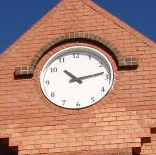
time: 10:13
